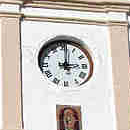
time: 3:01
